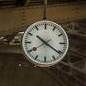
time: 10:20
